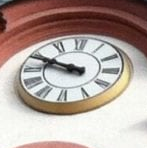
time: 9:48
